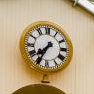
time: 7:34
